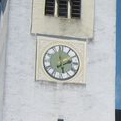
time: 1:59
